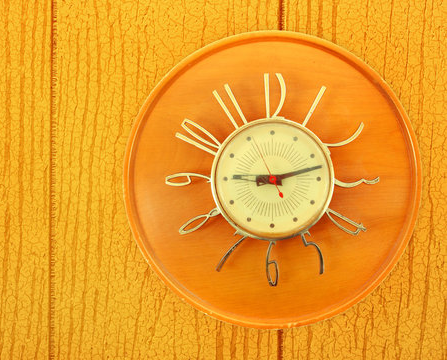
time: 9:12
